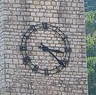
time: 3:22
